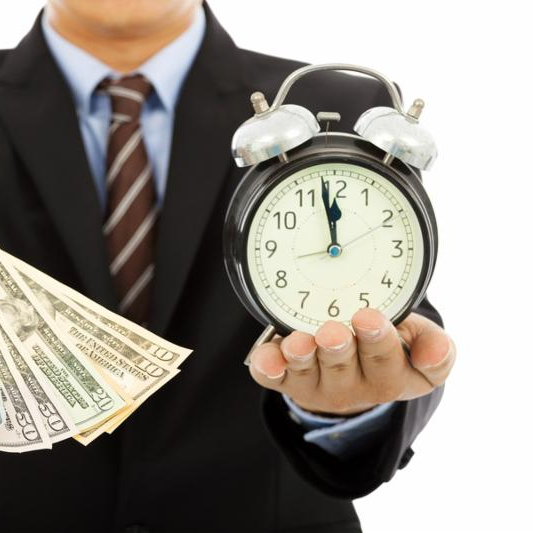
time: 11:58
